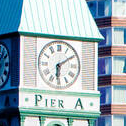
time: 6:09
